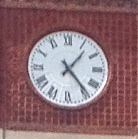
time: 1:23
